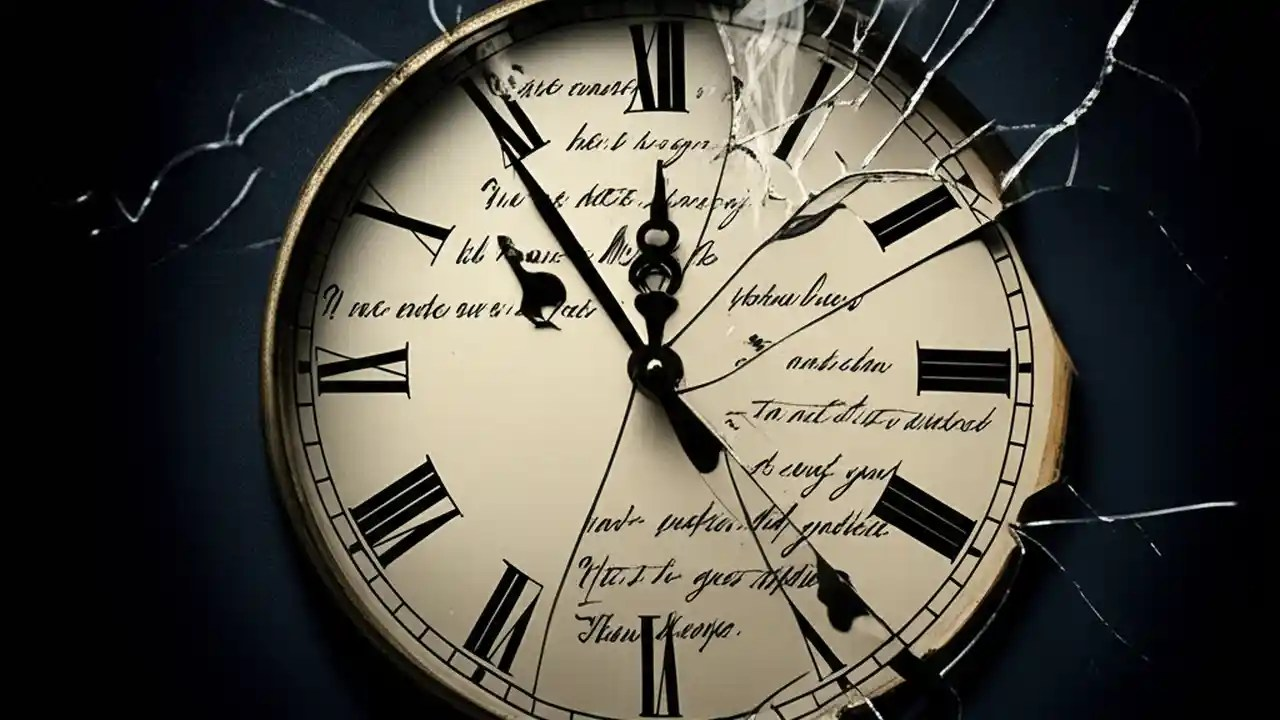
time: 11:53
